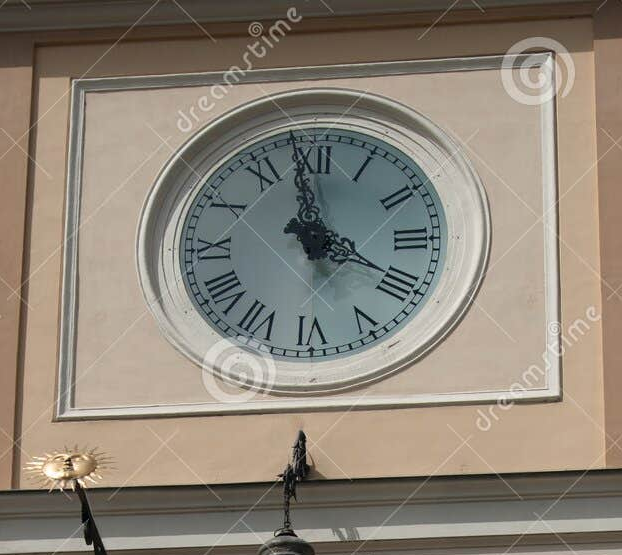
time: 3:58
